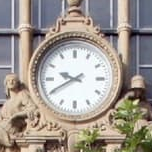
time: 9:40
